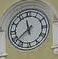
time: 11:38
